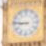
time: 8:46
